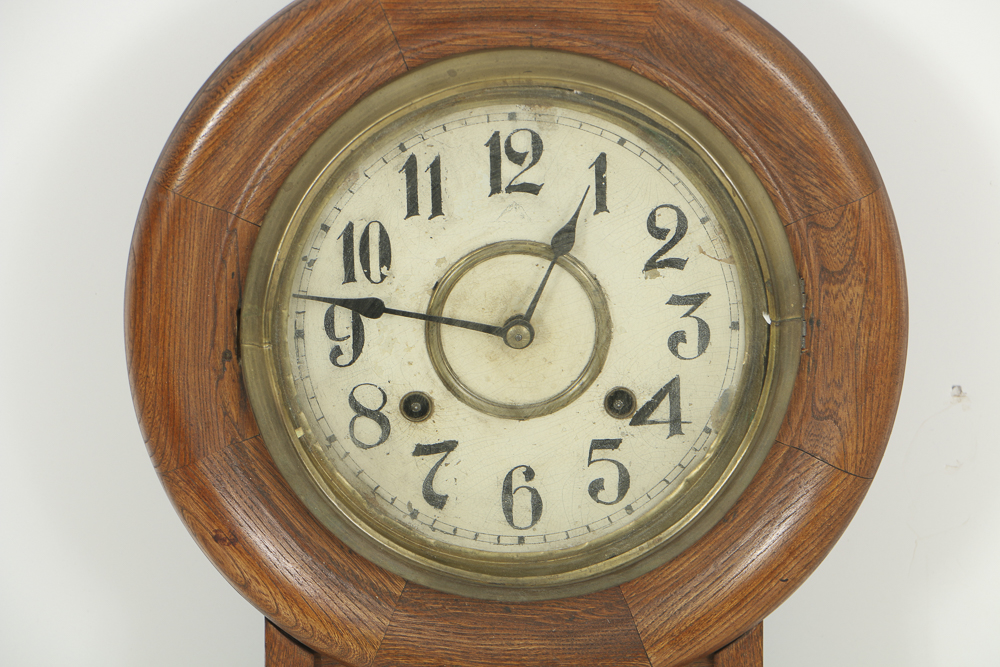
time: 12:46
